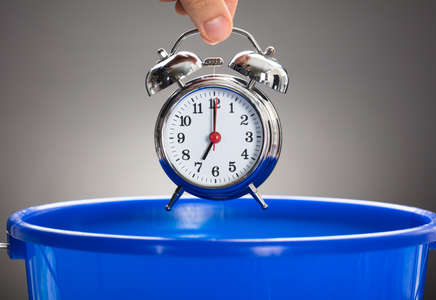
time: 7:00
